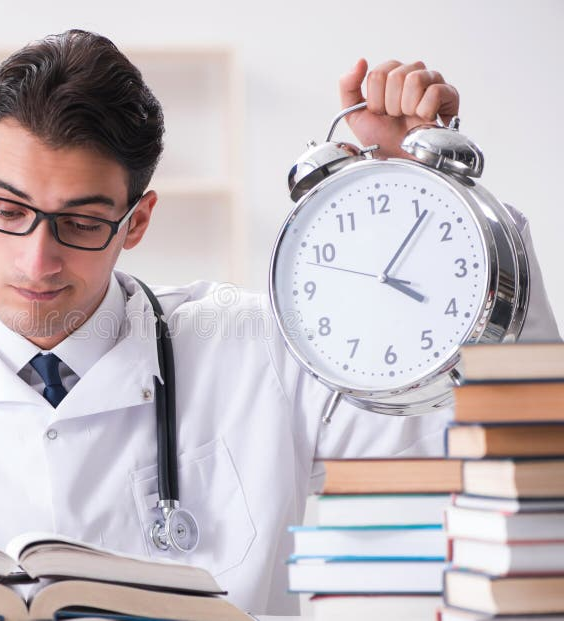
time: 4:06
